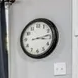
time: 3:13
